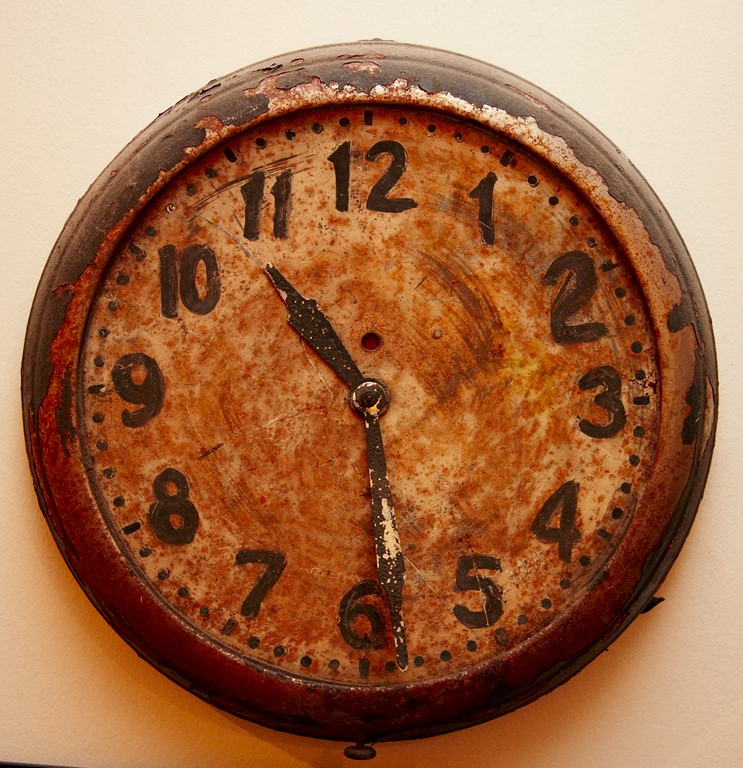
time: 10:28
